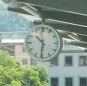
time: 10:31
